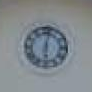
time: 6:02
